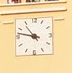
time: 10:47
